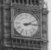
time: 2:14
